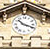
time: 10:18
